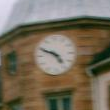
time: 4:49
